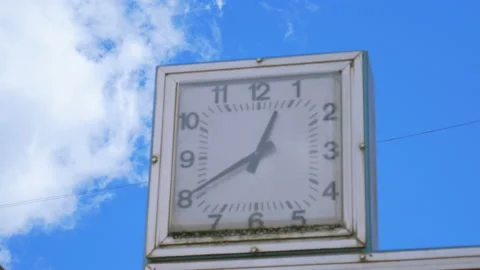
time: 12:40
